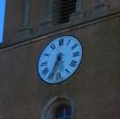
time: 5:34
